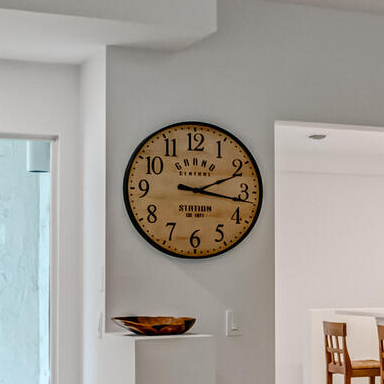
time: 2:16
